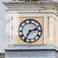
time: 2:35
